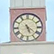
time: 5:21
